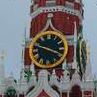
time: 3:47
